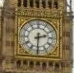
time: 2:30
